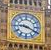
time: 9:19
